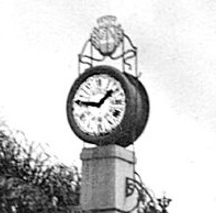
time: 1:46
